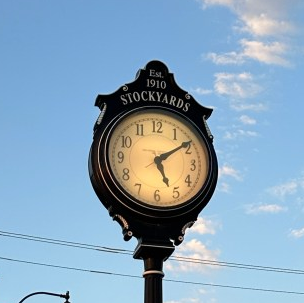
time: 5:09
